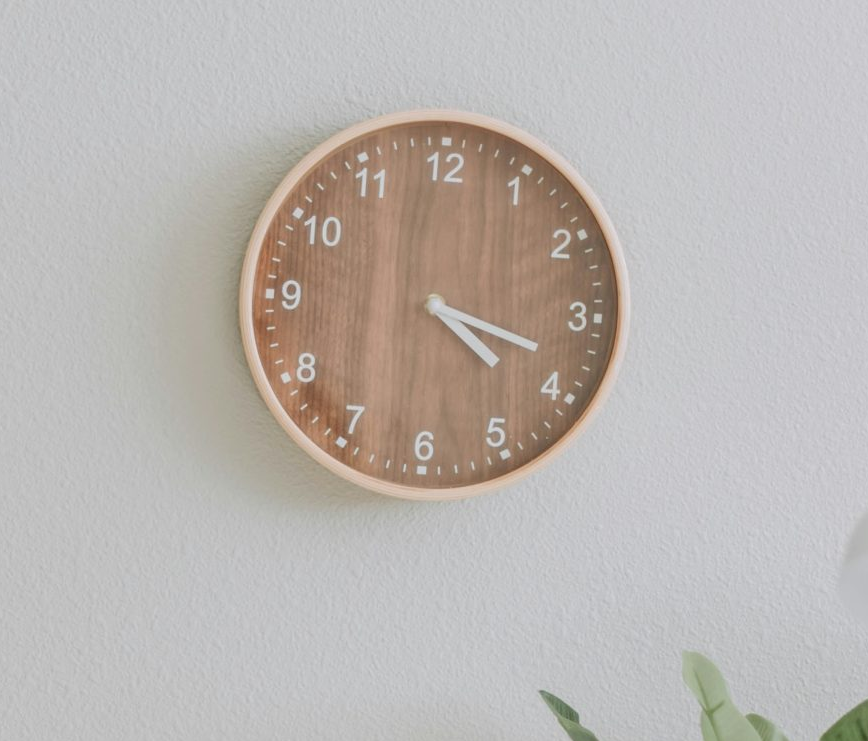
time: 4:18
